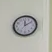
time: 12:09
